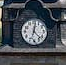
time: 12:22
